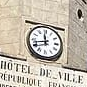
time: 11:42
